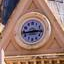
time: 2:43
